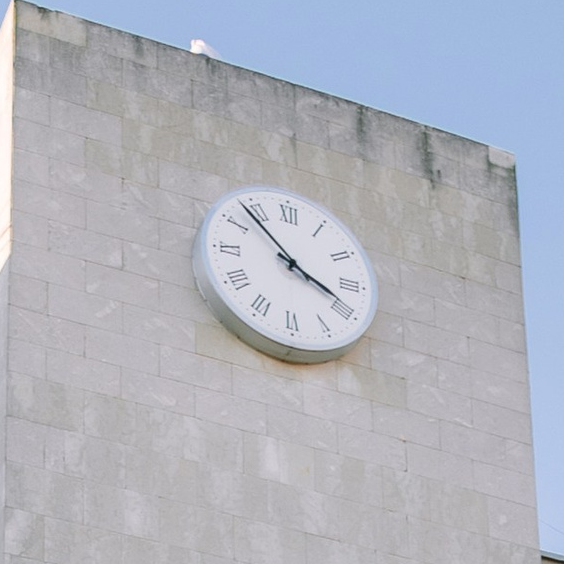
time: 3:53
